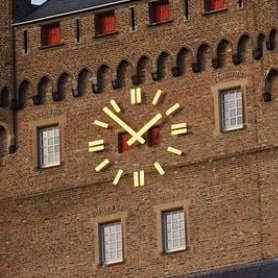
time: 1:52
